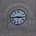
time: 2:44
